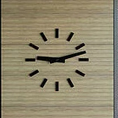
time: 9:12
